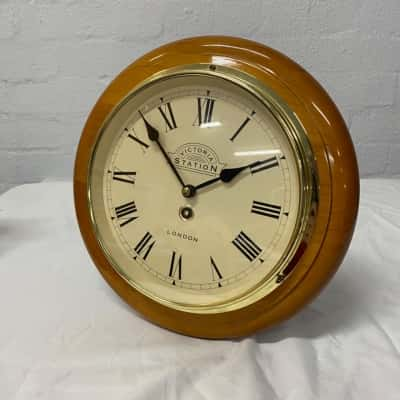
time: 1:52
